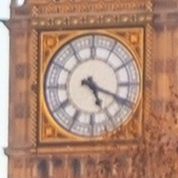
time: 5:18
